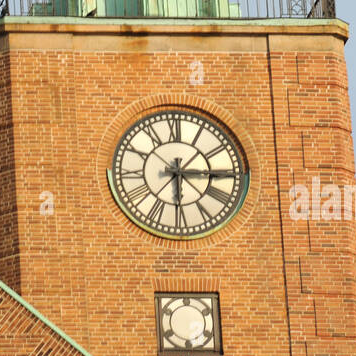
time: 6:15
